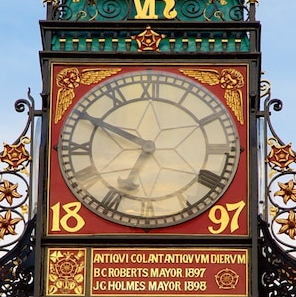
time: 6:49
